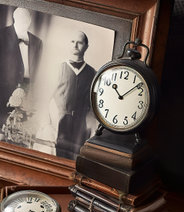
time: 10:07
